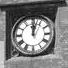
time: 12:02
